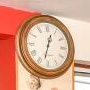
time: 12:32
